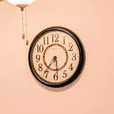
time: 5:36
